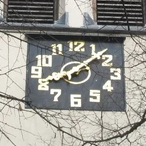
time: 8:07
